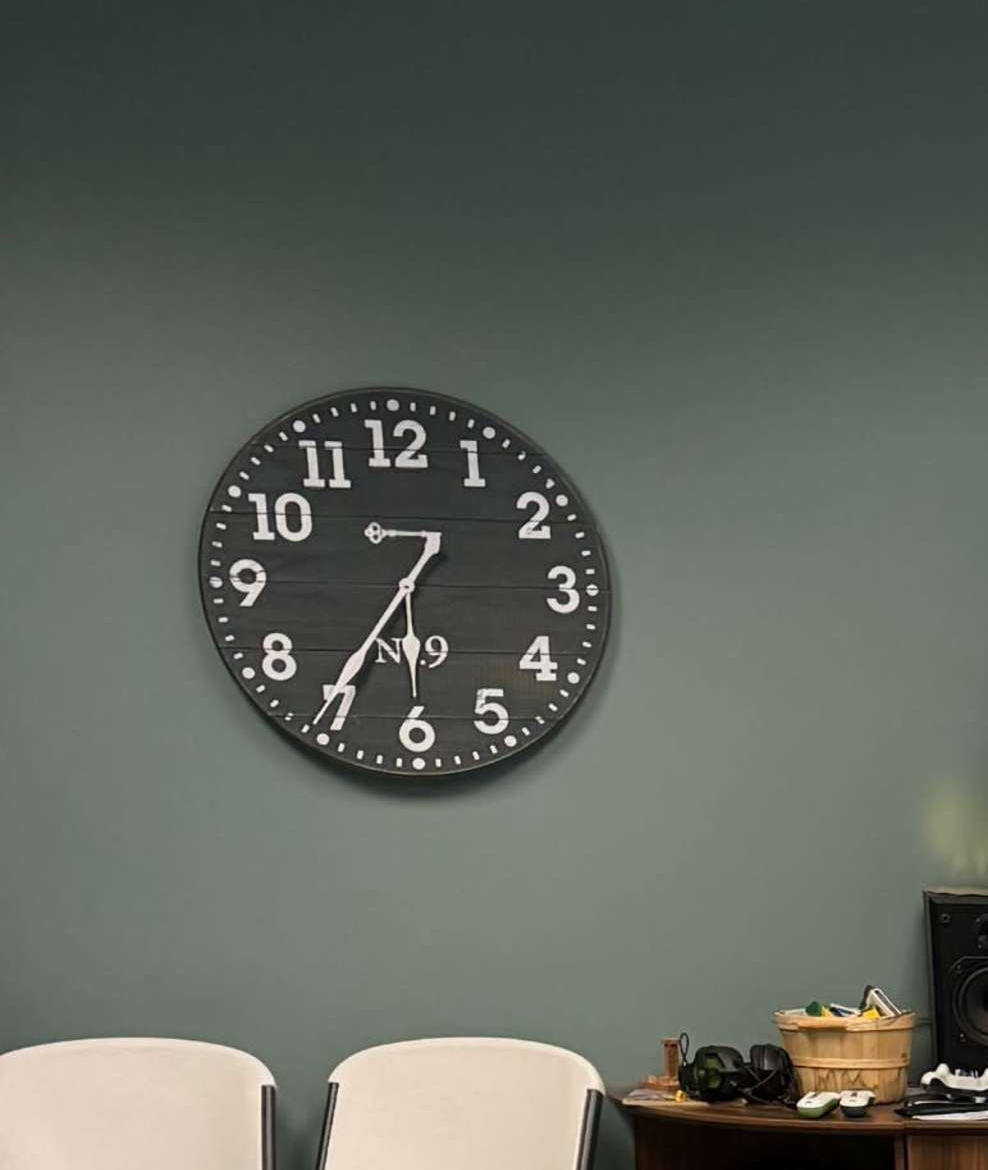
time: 5:35
